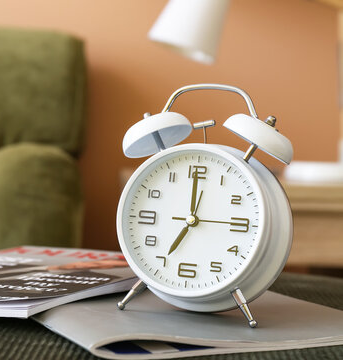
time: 6:59
